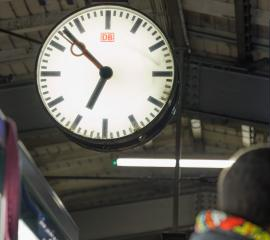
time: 6:52
